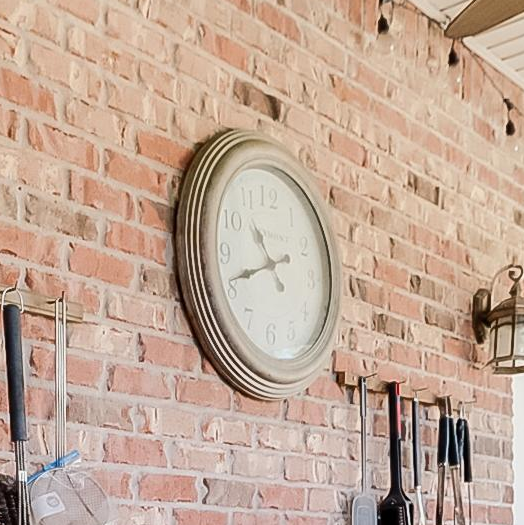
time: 10:41
